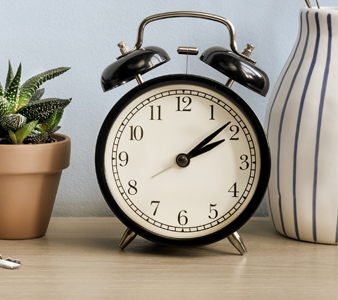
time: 2:08
